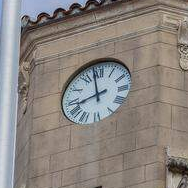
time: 11:42
